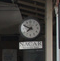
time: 7:49
